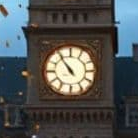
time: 10:54
